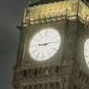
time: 9:12
